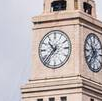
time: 10:37
